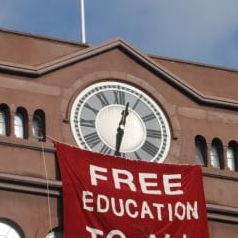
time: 12:31
